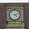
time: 4:12
